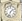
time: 1:33
